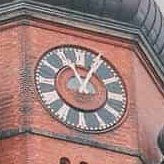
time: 11:04
